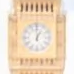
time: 12:59
